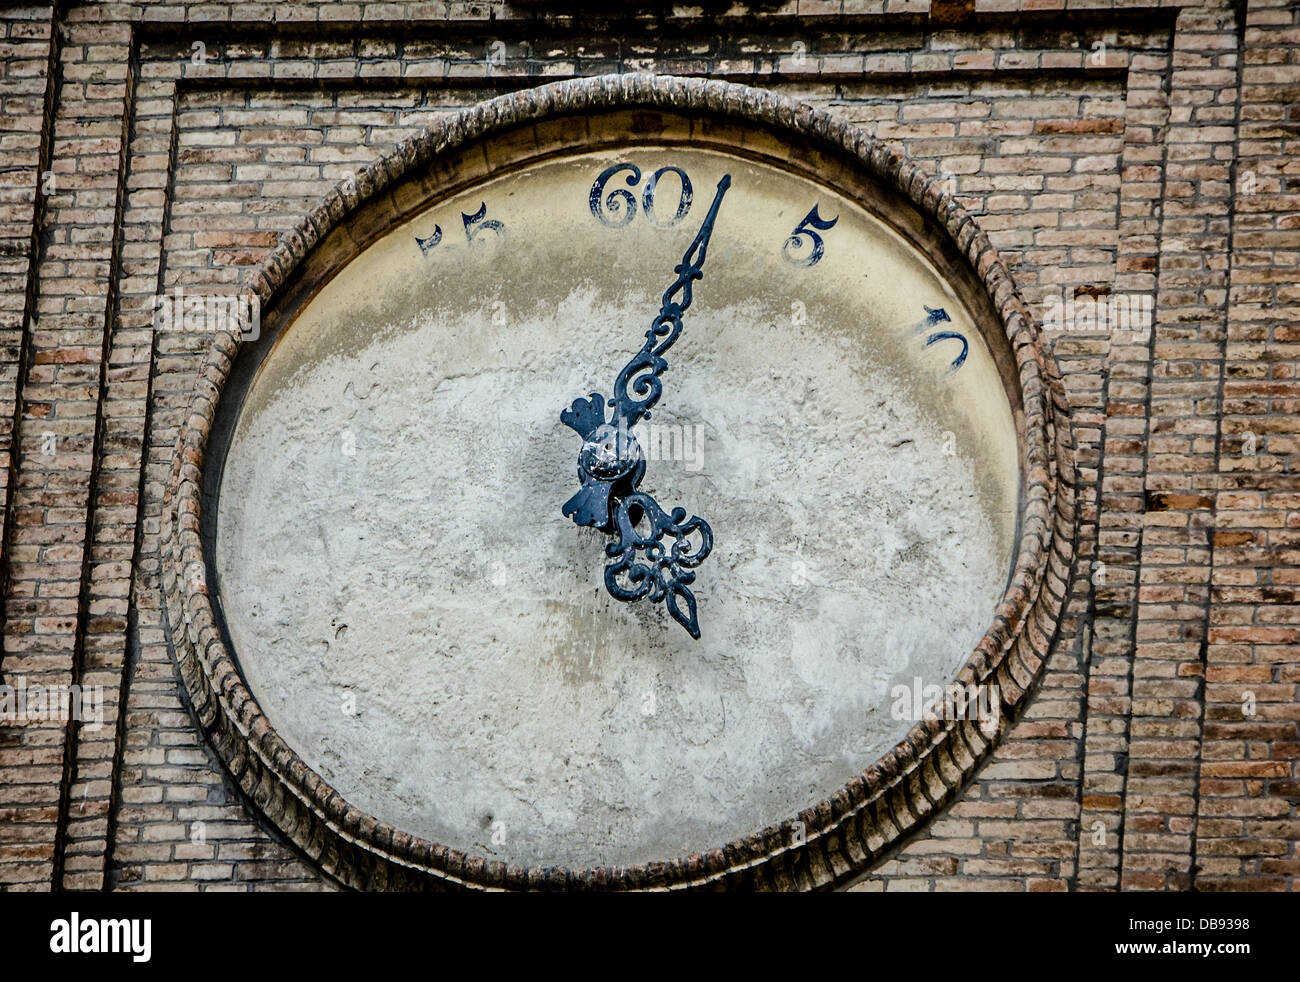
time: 5:02
